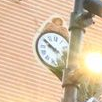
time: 9:50
